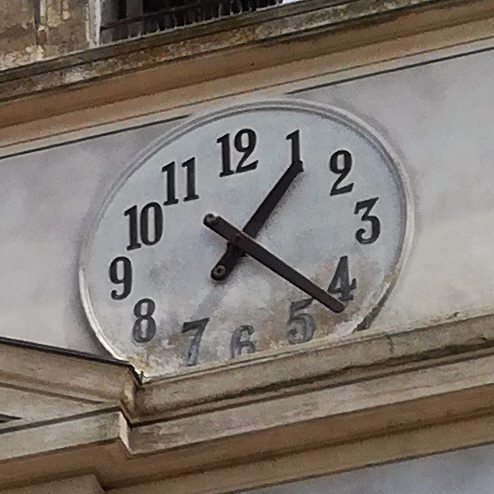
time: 1:22
